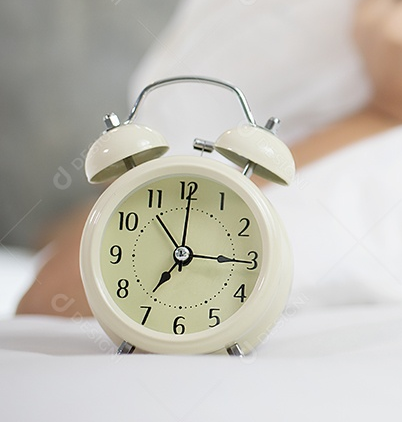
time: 7:15
